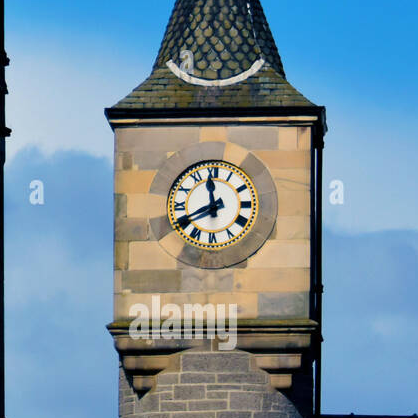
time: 11:40
